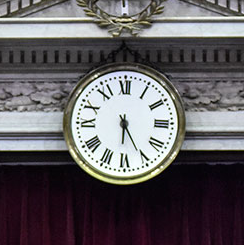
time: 6:25
